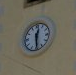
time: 12:29
